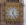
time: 12:24
